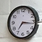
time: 7:16
